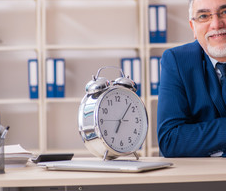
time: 7:07
